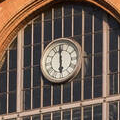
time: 5:59
